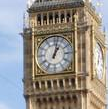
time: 1:02
